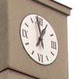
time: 12:58
